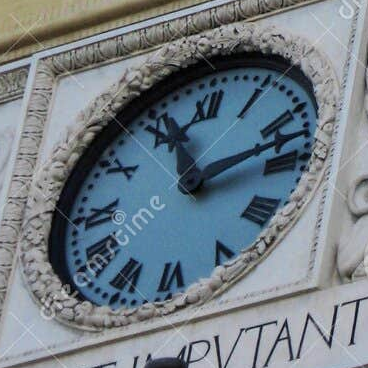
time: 11:12
